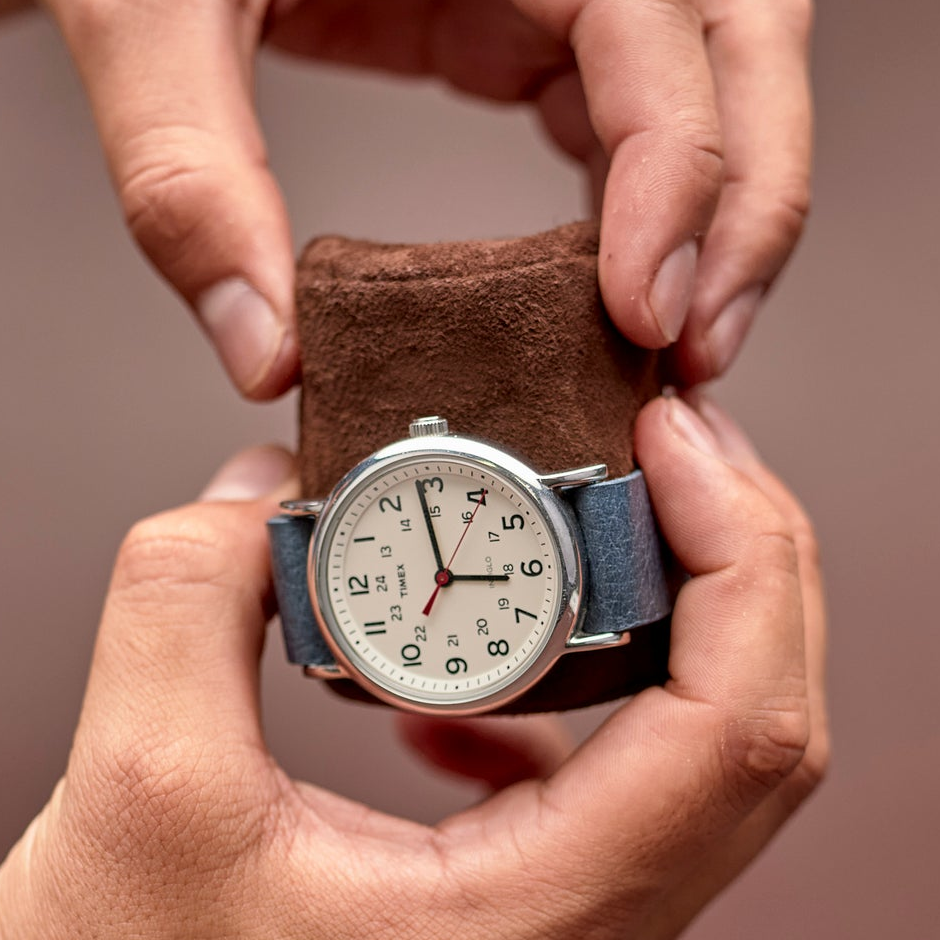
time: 2:58
